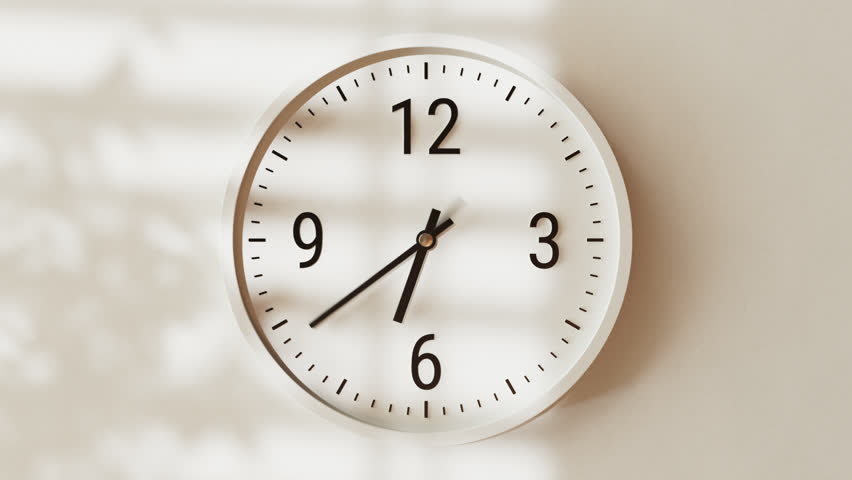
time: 6:38
